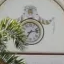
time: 7:12
